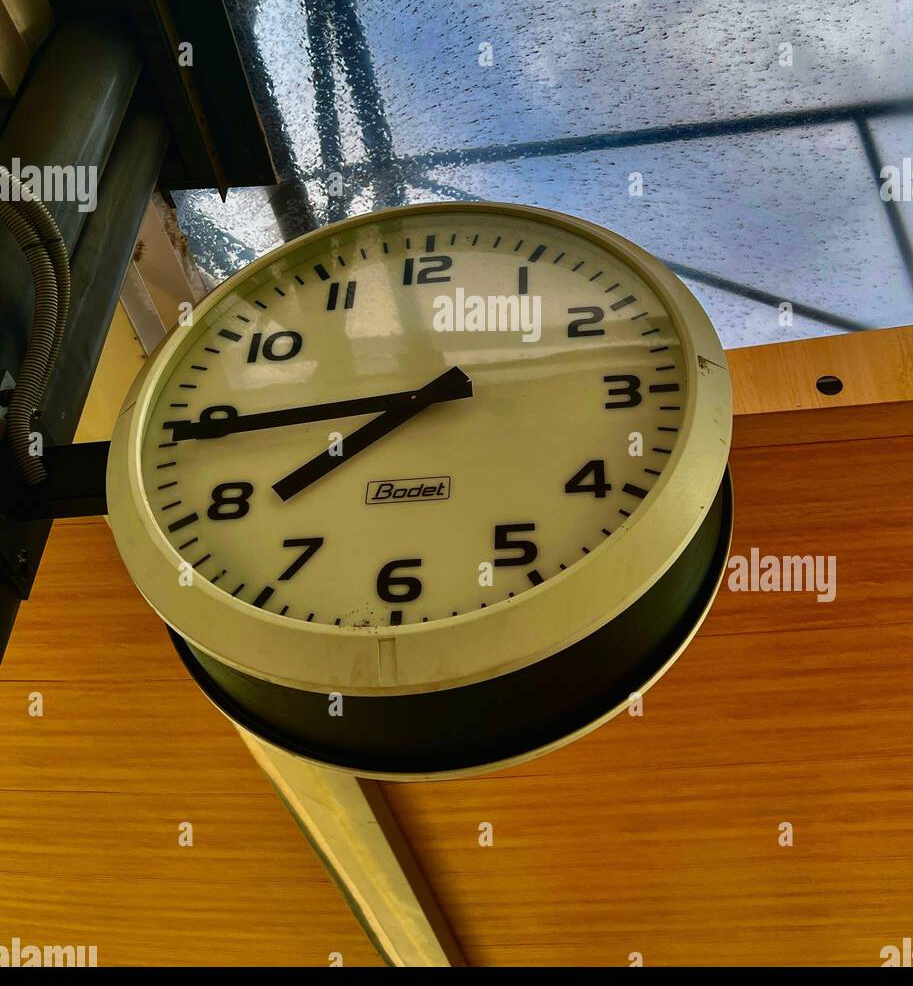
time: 7:44
